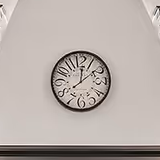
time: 12:08
